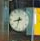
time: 8:33
